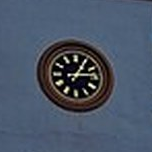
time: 1:14
